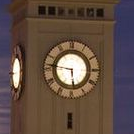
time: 5:46
